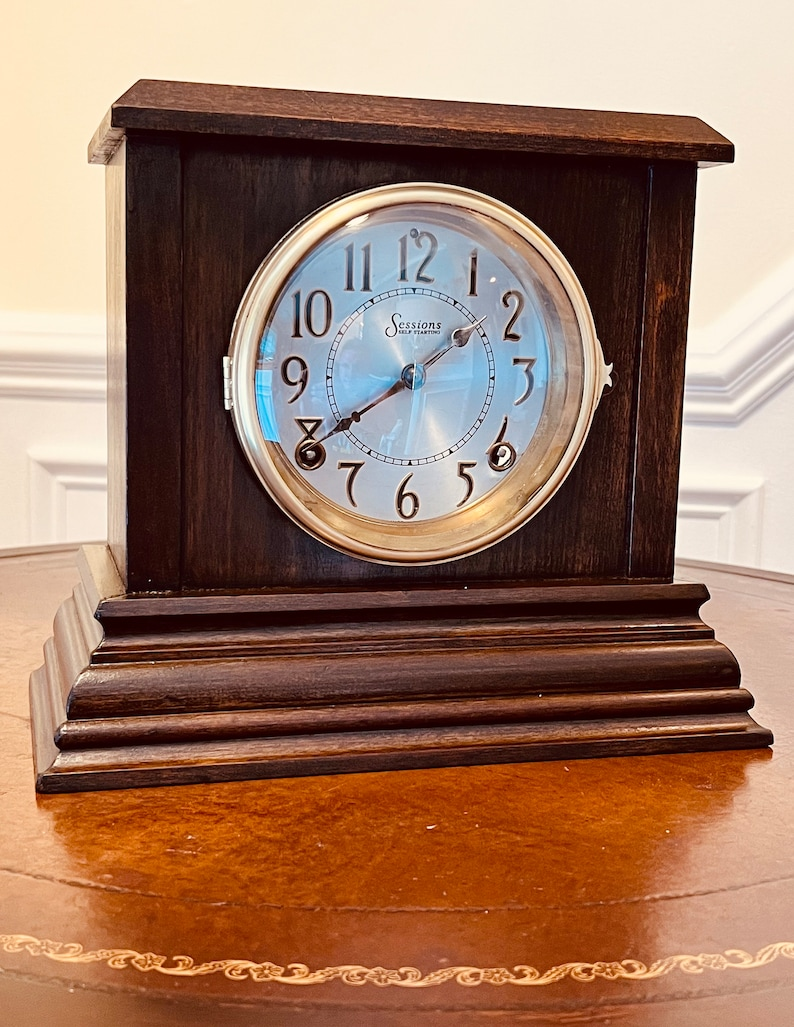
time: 1:39
